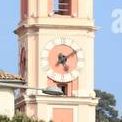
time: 5:09
